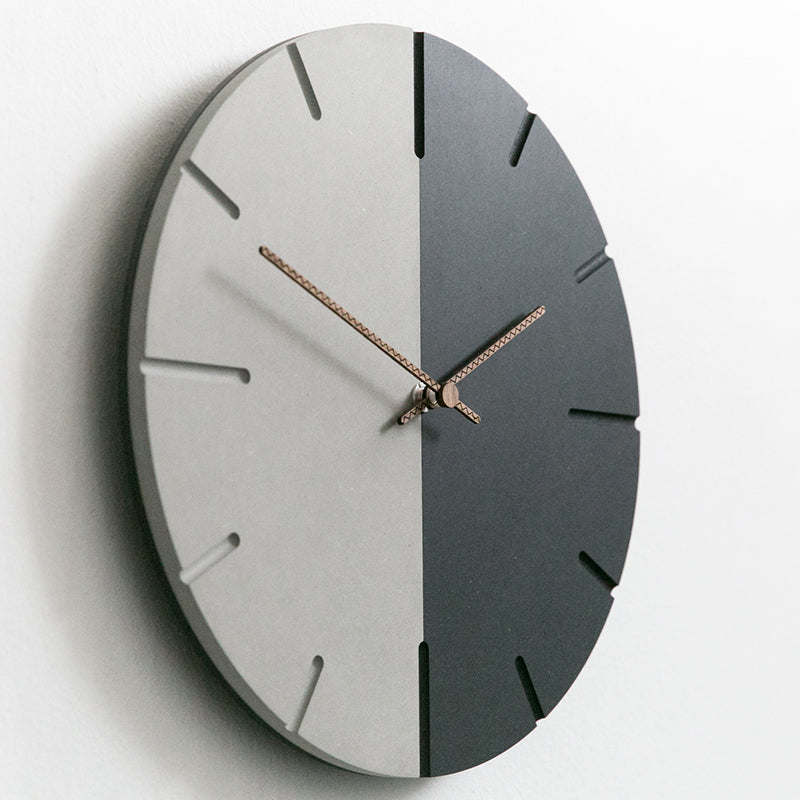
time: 1:59
